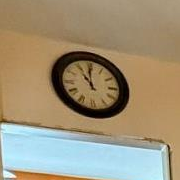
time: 10:59
